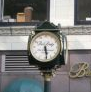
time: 5:28
